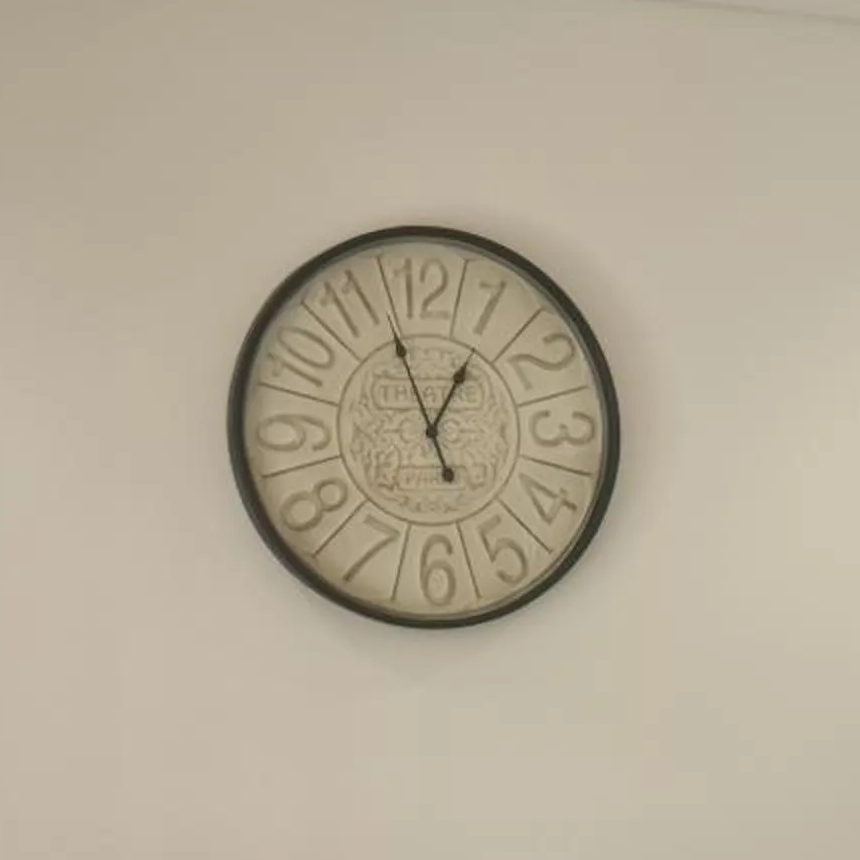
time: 12:57
